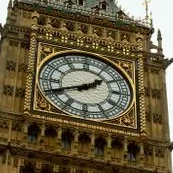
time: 1:41
